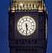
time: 5:30
